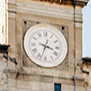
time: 3:33
